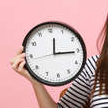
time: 12:15
